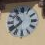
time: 10:38
